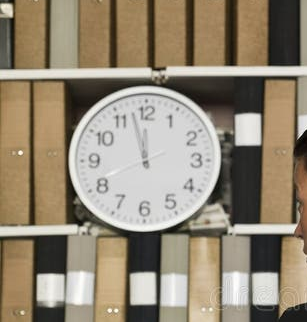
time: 11:57
